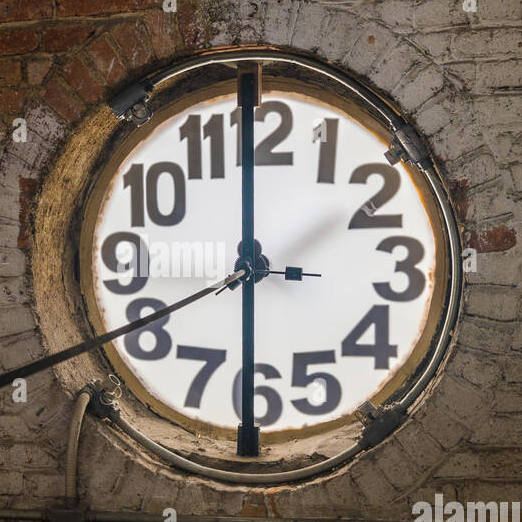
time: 5:59
